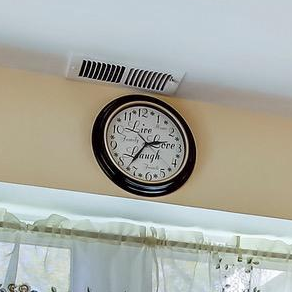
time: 2:37
